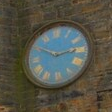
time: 2:50
